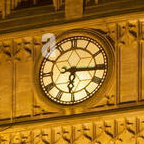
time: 6:15
